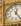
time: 12:24
